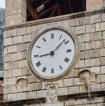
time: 1:44
